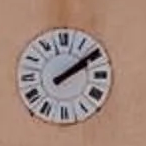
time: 2:09
